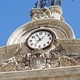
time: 11:07
